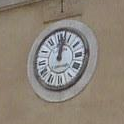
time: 12:02
